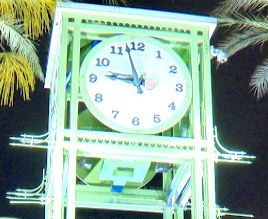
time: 8:57
